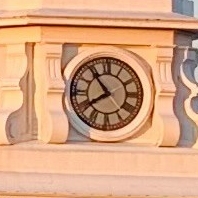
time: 7:53
